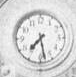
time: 7:28
